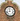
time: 11:42
